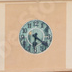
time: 6:20
